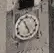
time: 4:56
